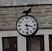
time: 3:29
